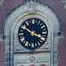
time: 3:50
